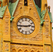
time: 2:45
